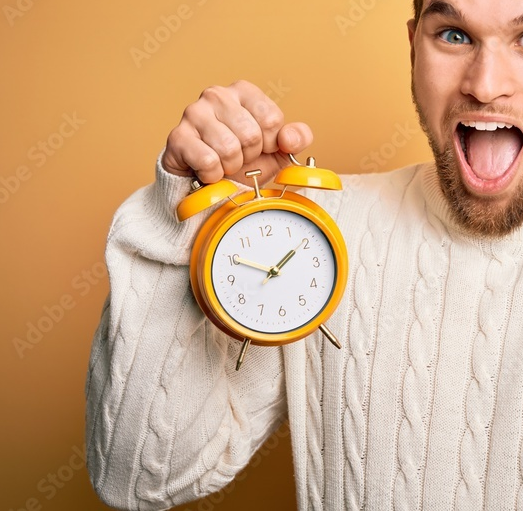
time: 1:49
